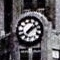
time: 1:09
